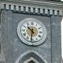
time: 10:31
